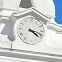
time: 4:17
